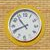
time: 10:41
